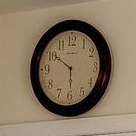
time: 5:50
